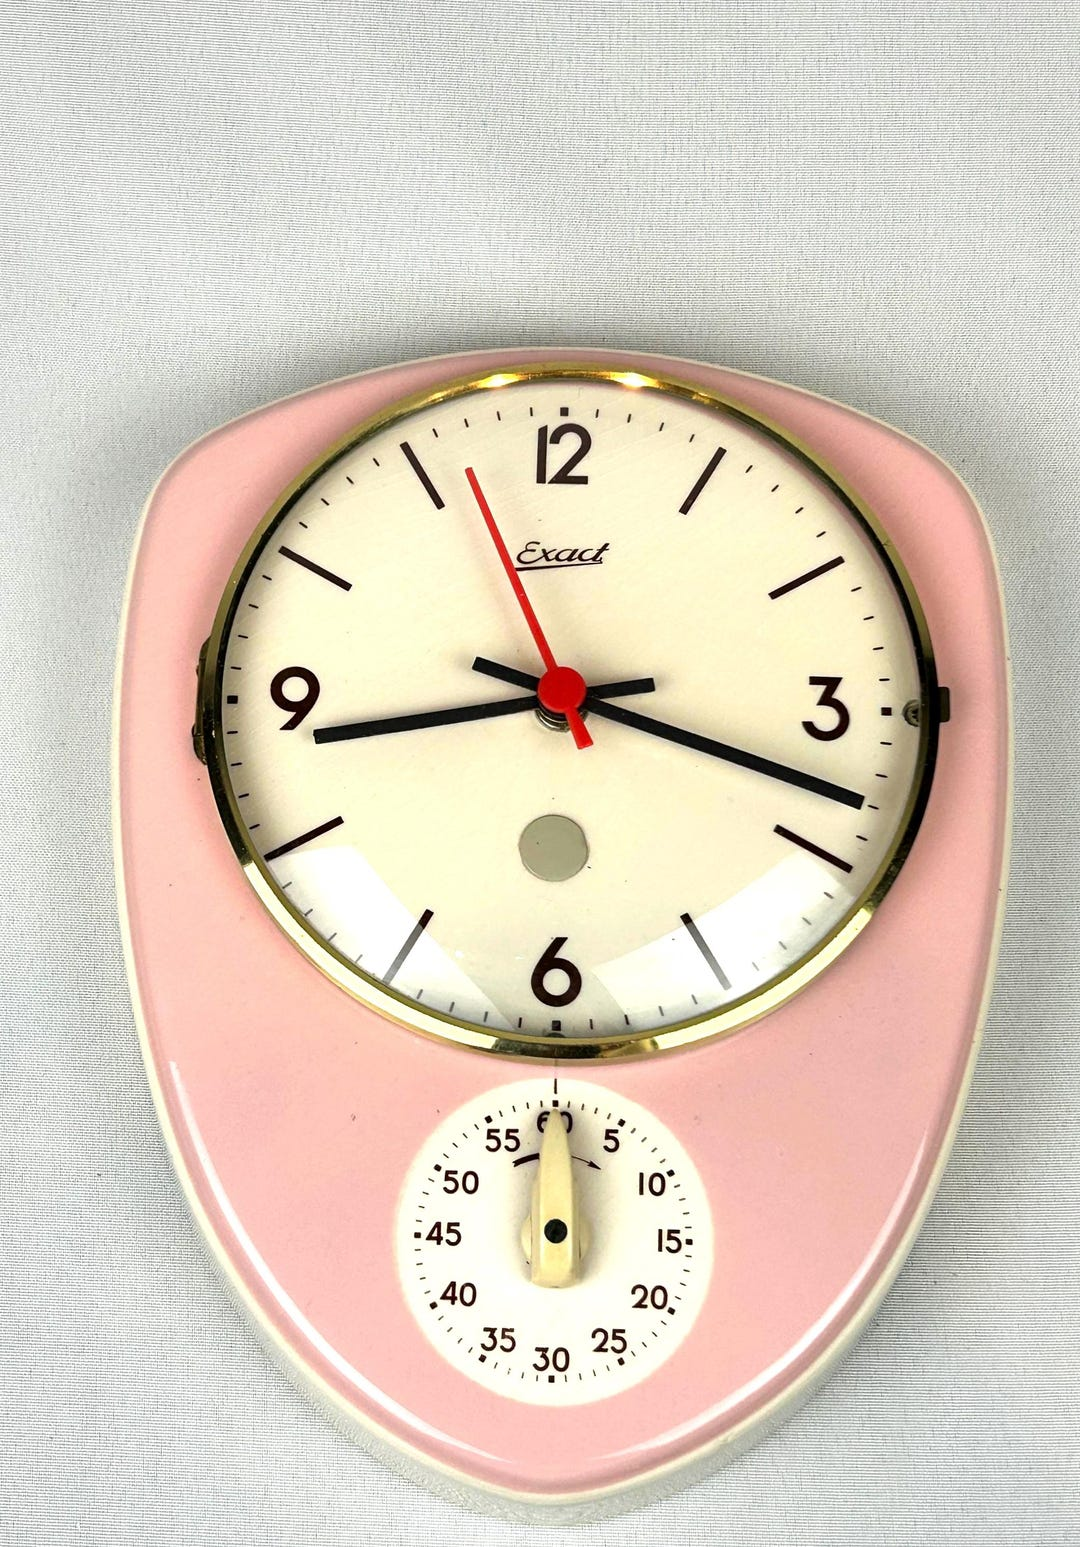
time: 3:43
